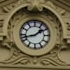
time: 1:42
